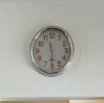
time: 11:29
